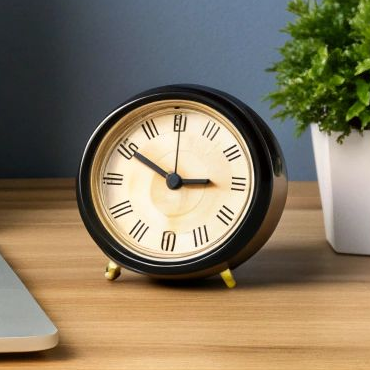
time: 2:50
